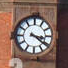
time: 3:21
